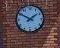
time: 1:50
